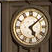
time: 5:08
